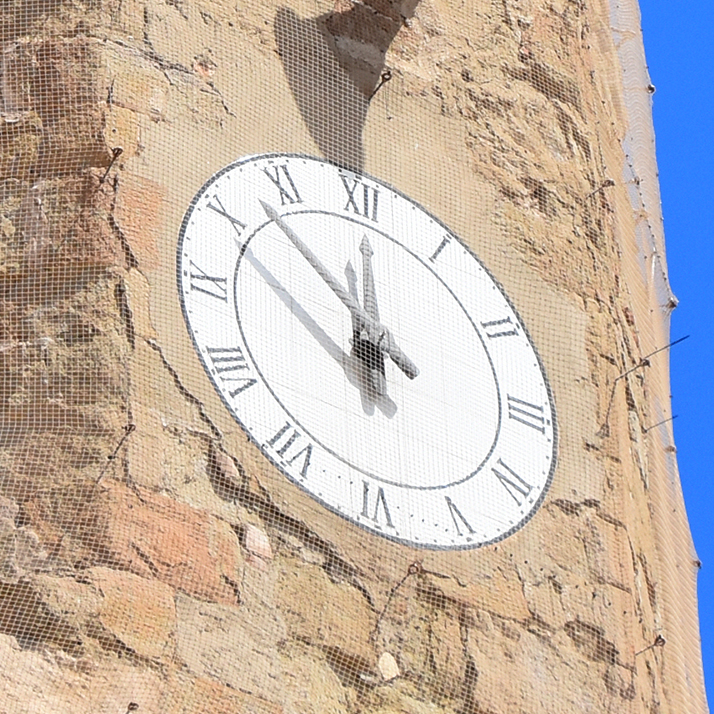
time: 11:52
